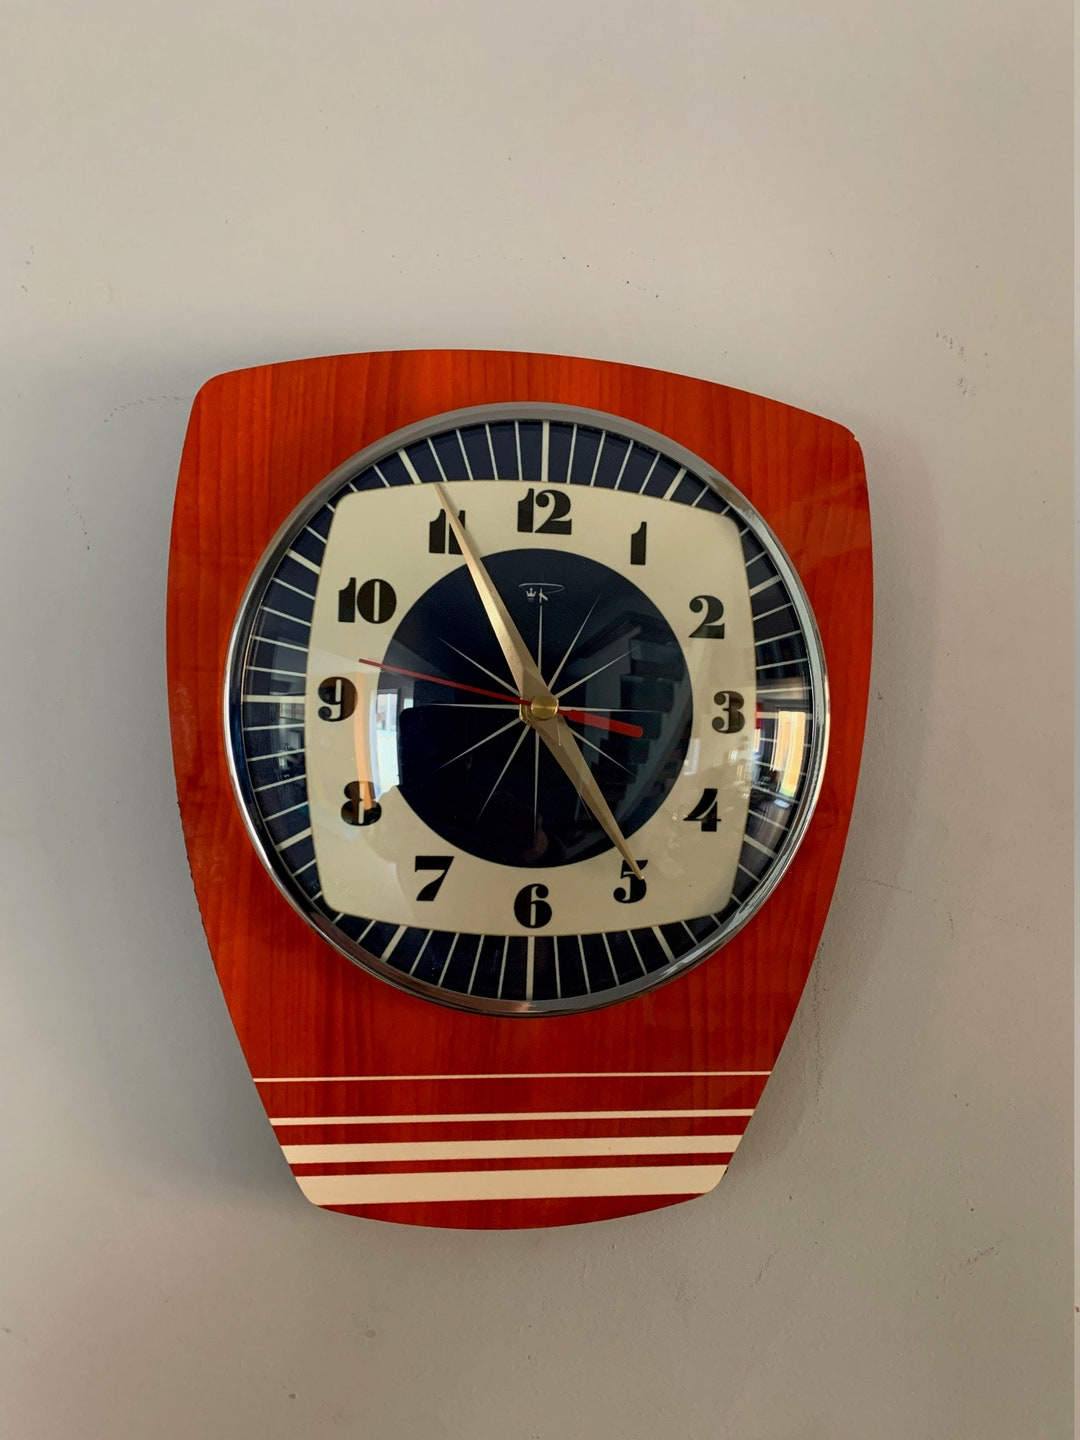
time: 4:55
